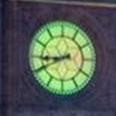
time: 8:40
